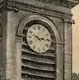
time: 2:48
